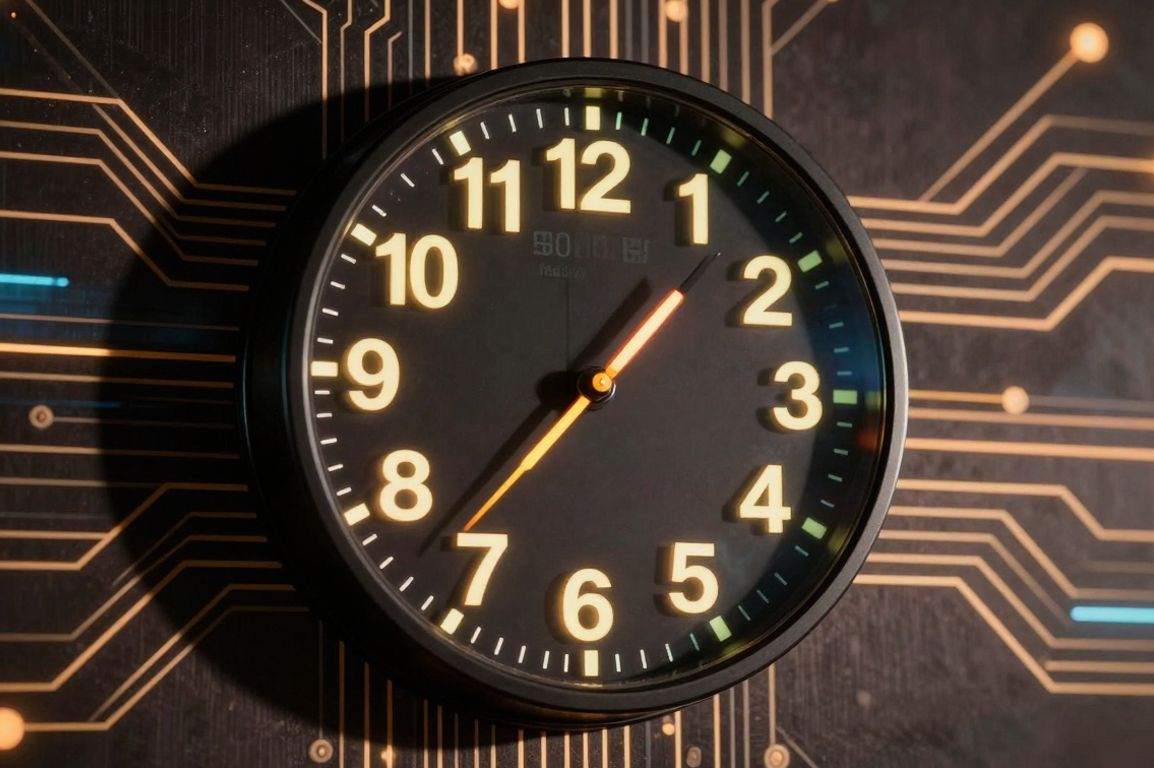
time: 1:36
